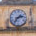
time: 2:36
